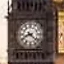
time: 8:21
